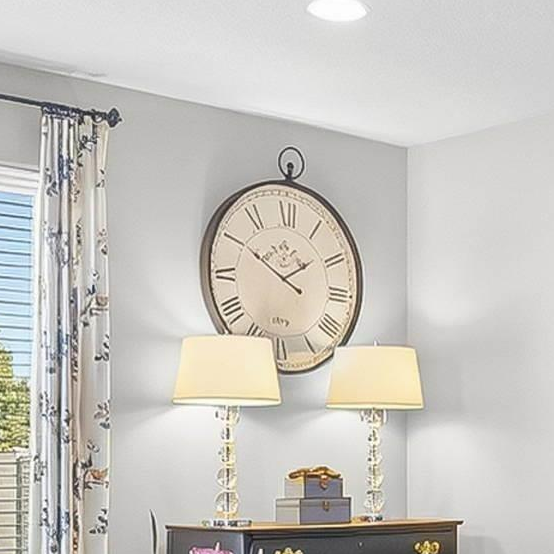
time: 1:50
